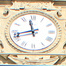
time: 11:42
